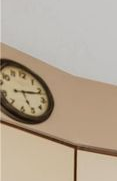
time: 5:11
